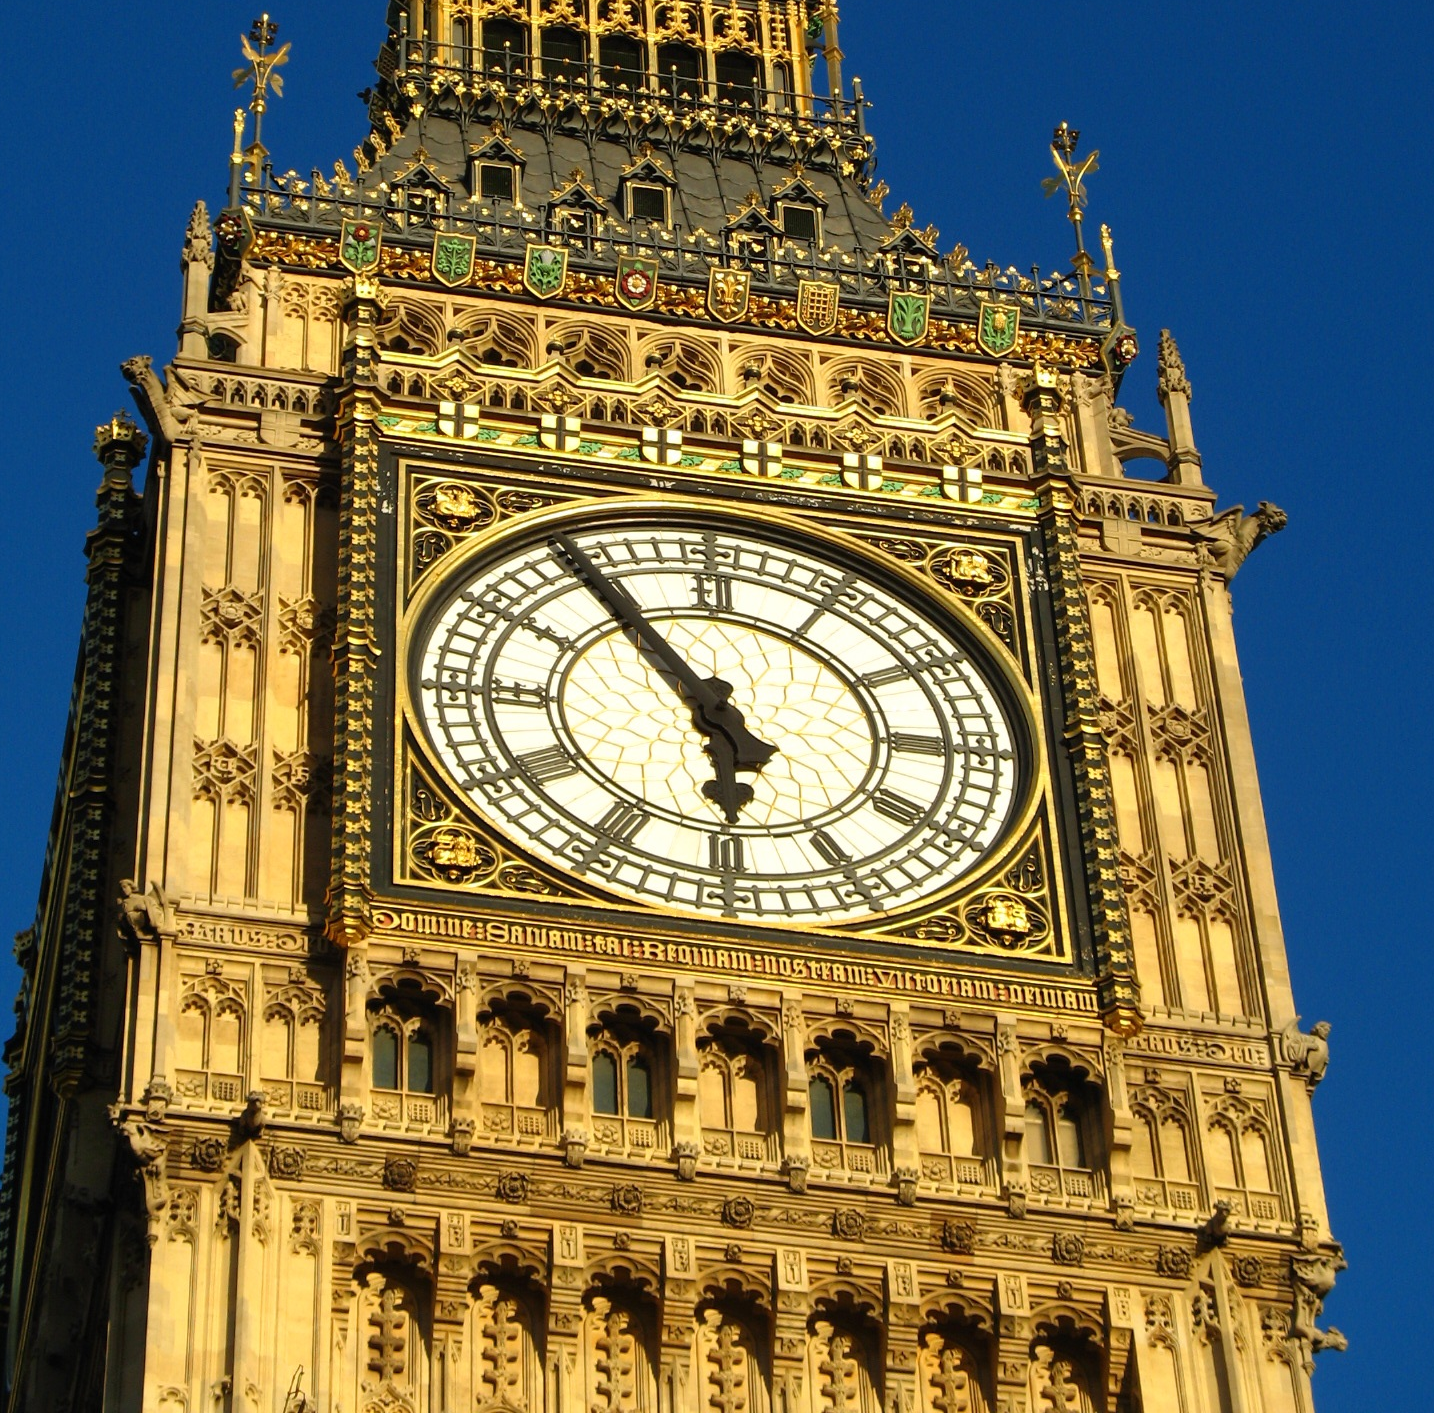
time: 5:54
